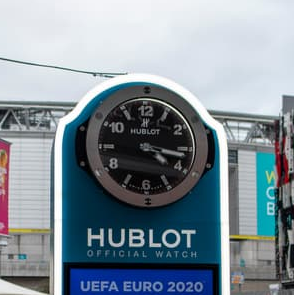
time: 4:16
